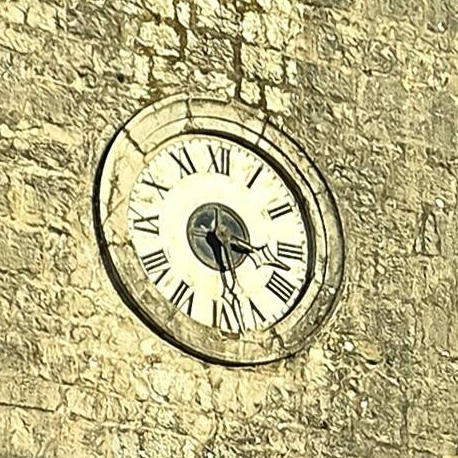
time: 3:27
